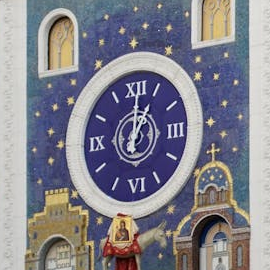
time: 1:01
